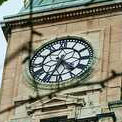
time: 4:34
